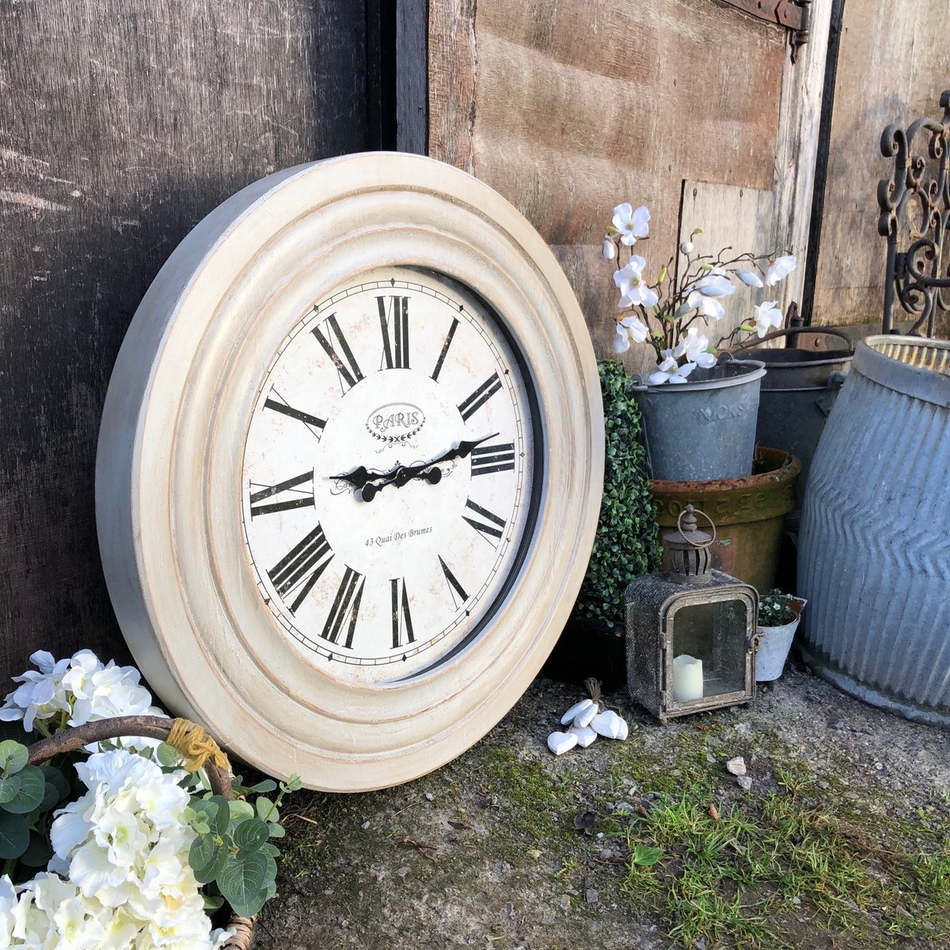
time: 9:13
